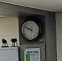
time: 9:50
